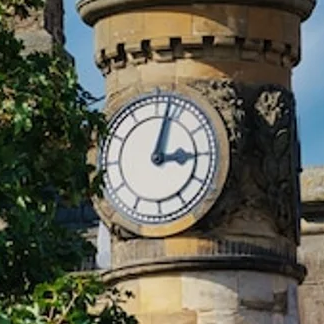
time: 3:02
